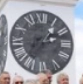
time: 2:36
